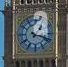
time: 1:18
